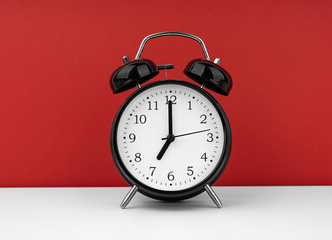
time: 7:00
